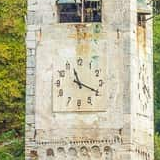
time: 11:19
